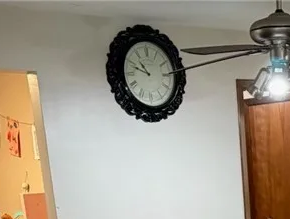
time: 10:48
